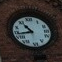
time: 10:43
